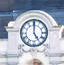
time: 5:00
